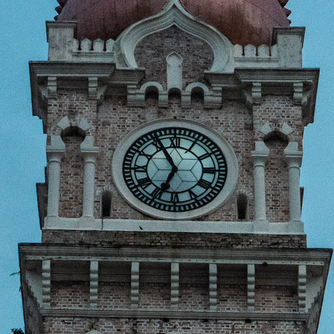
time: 6:55
